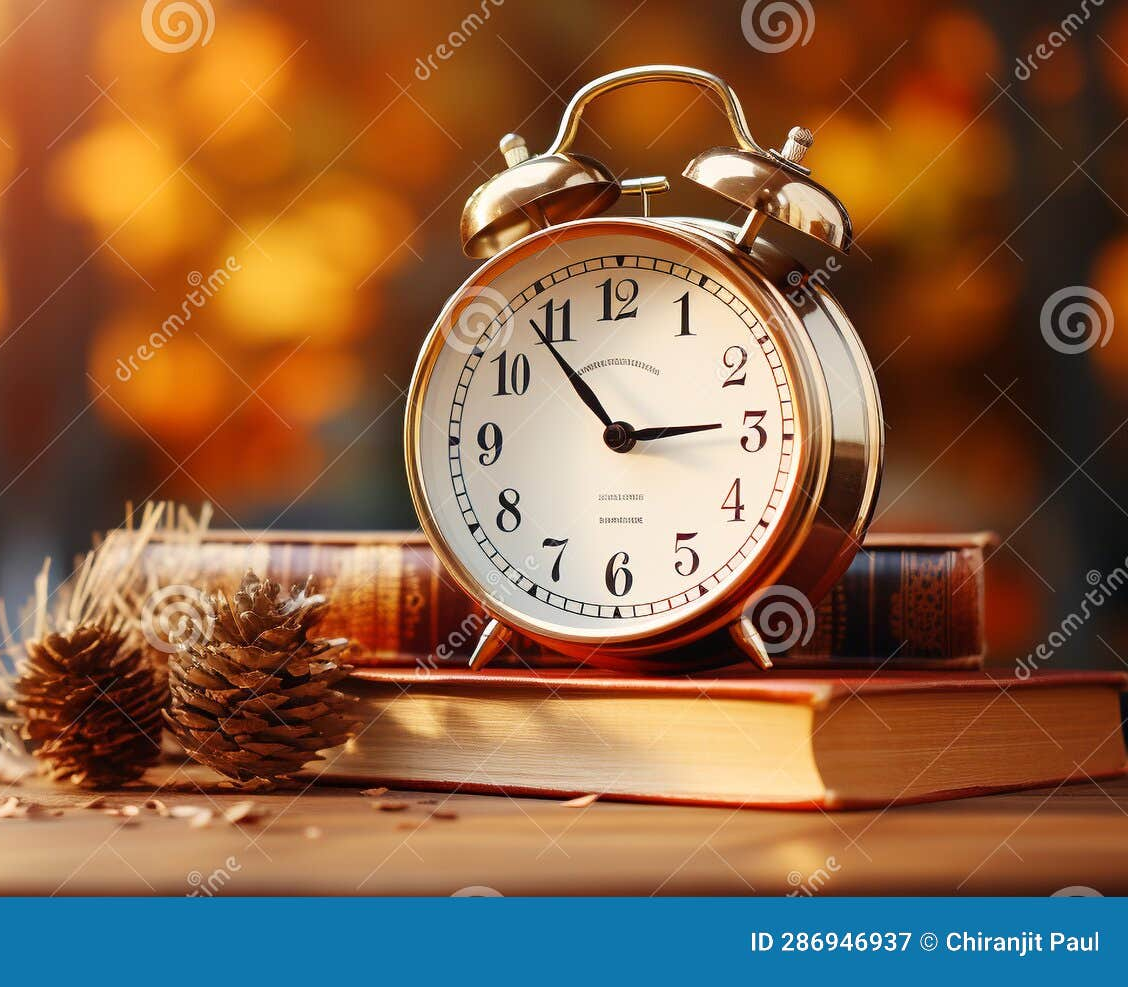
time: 2:53
